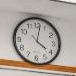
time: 4:02
